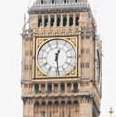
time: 12:28
